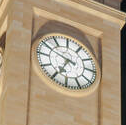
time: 6:49
